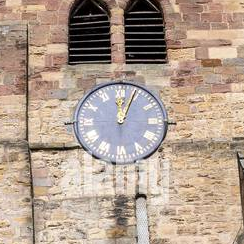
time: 12:04
